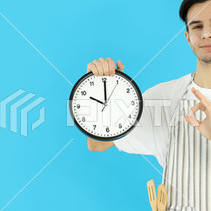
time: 10:00
